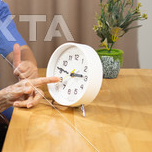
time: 2:46
